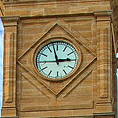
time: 2:57
